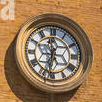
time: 11:32
